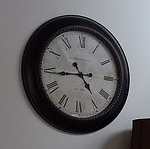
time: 4:44
